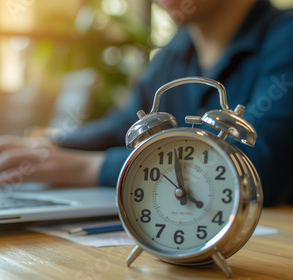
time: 3:58
